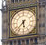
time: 5:37
